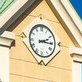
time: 2:15
